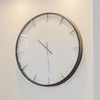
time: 10:29
